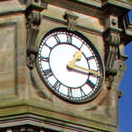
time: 1:16
